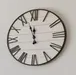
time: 11:56
